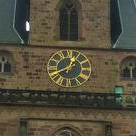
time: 12:40
